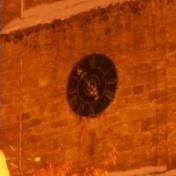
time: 4:52
